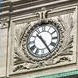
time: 10:24
